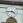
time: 4:44
